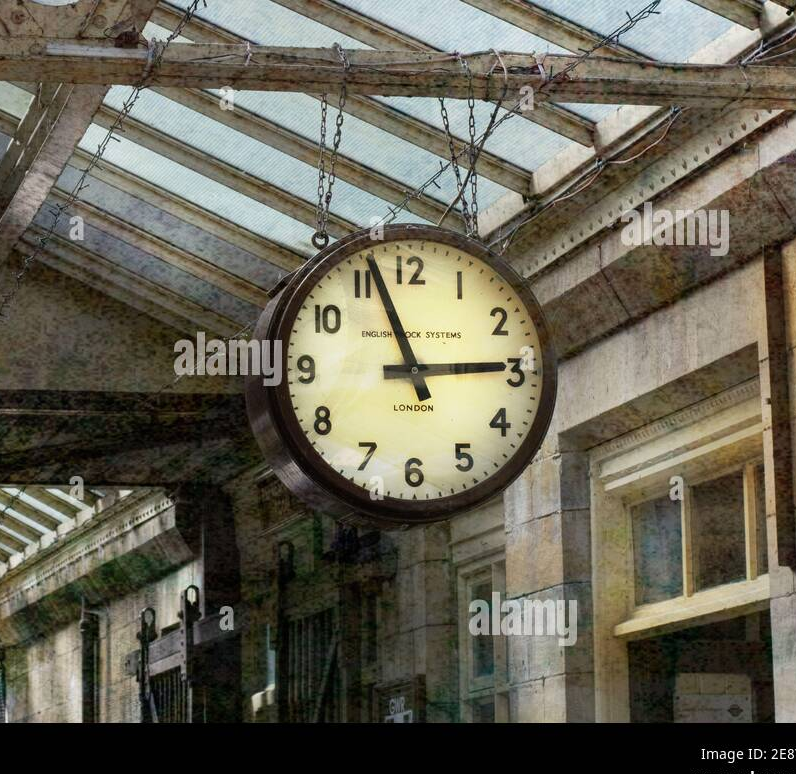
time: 2:56
